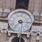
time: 7:15
